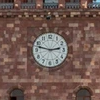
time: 2:47
